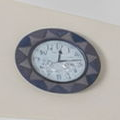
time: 12:13
